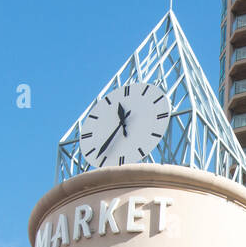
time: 11:36
